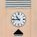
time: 10:45
